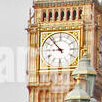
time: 8:53
